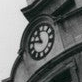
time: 10:45
